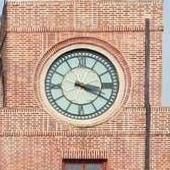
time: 3:19
